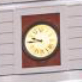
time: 9:44
